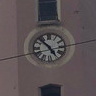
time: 4:52
